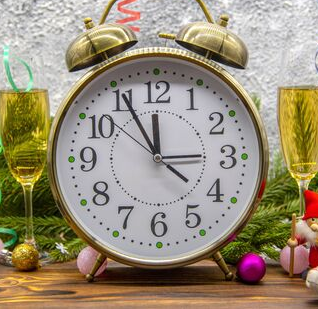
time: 11:55
